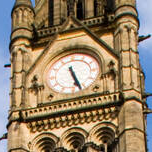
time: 5:26
